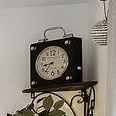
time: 8:36
